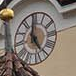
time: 5:00
